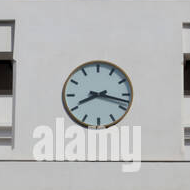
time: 8:17
